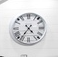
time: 4:35
